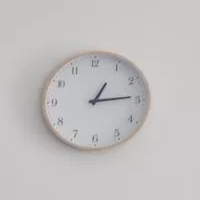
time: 1:13
